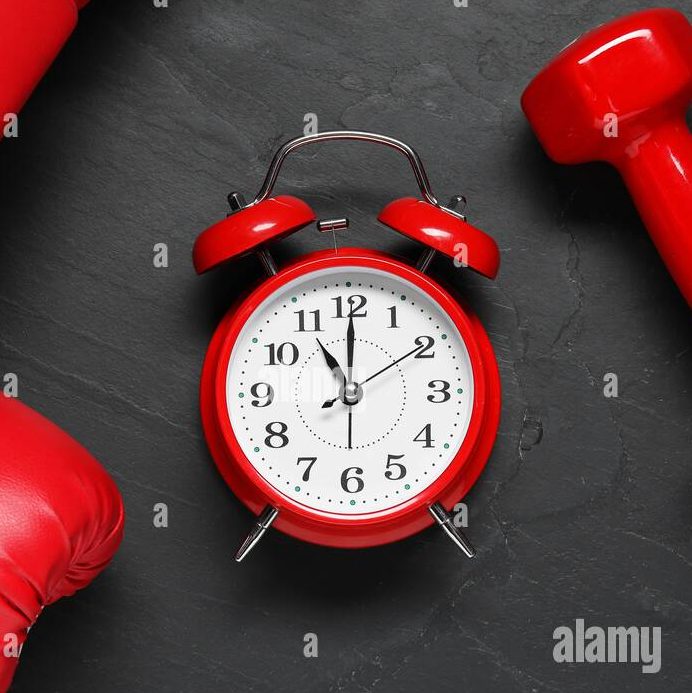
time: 11:00
